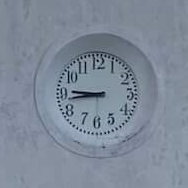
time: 8:45
